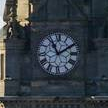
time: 11:09
